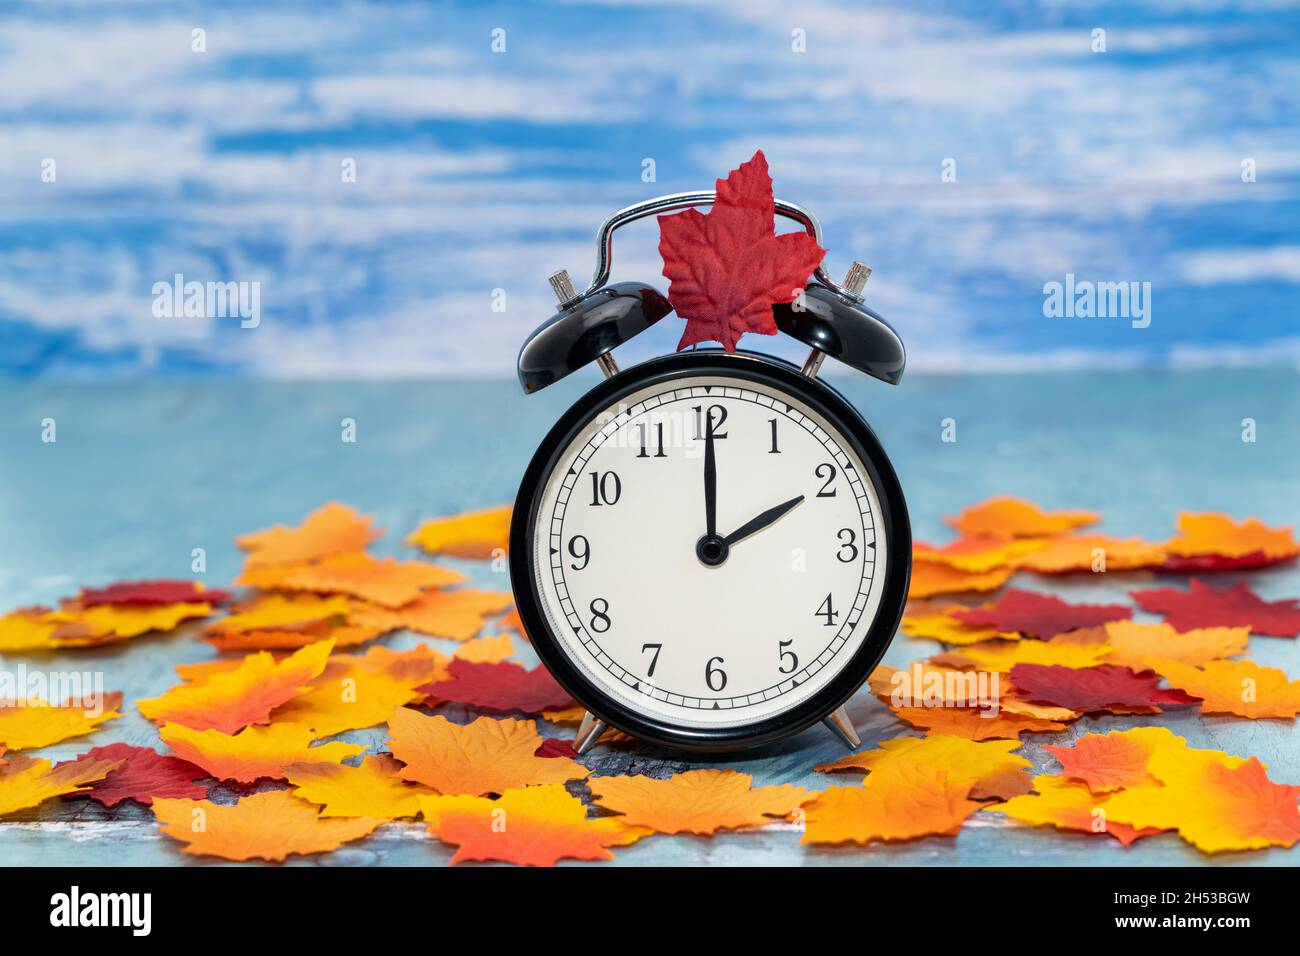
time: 2:00
